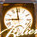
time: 8:58
